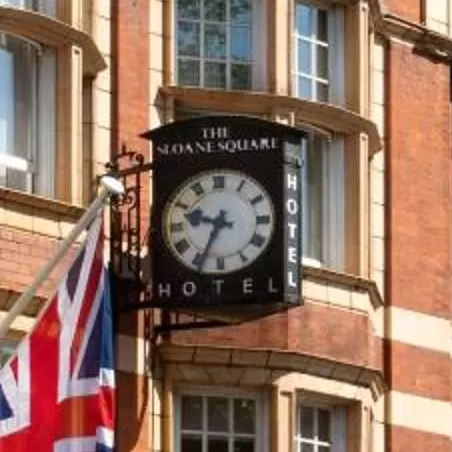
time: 9:34
